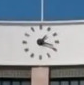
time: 1:18
